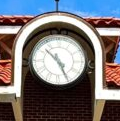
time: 10:25
